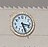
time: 3:26
